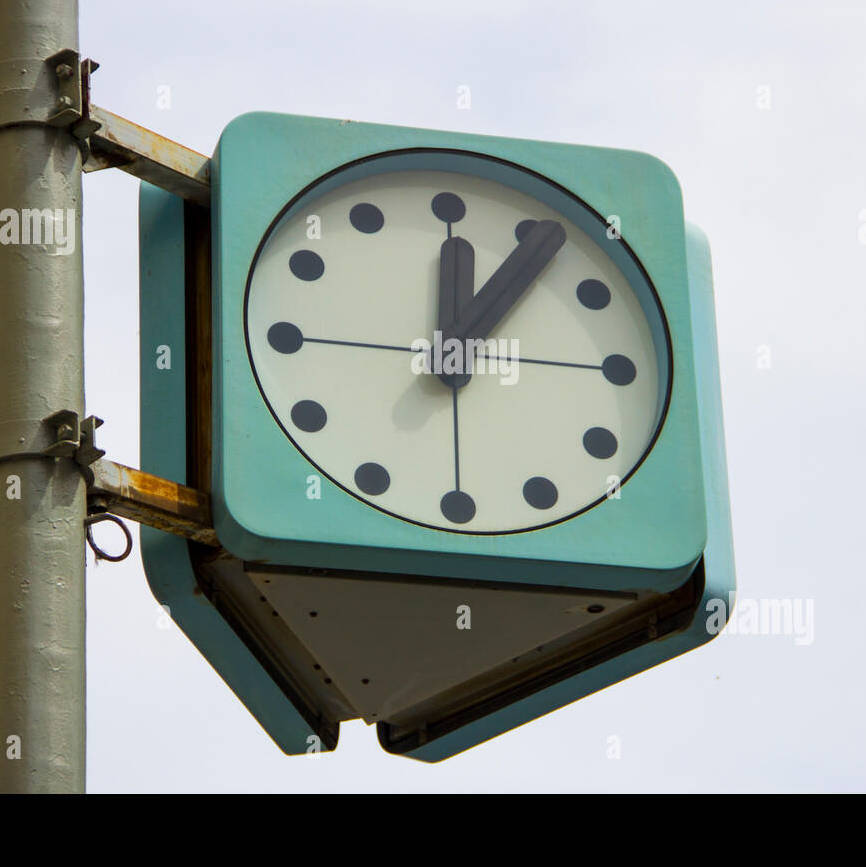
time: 12:06
